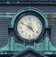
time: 4:49
